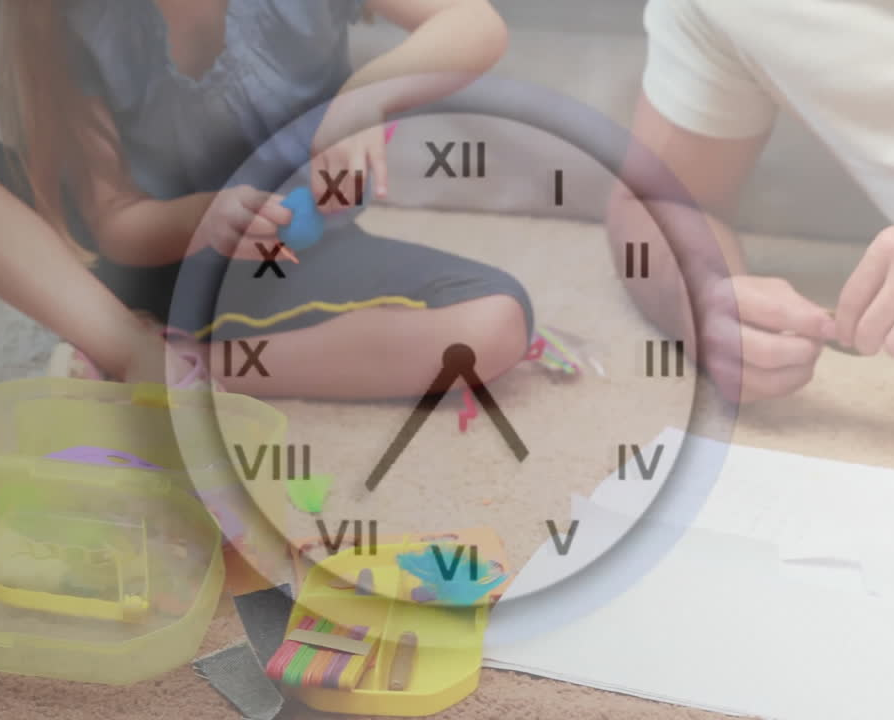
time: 4:35
